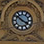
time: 3:51
